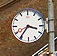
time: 3:36
